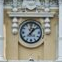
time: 12:07
